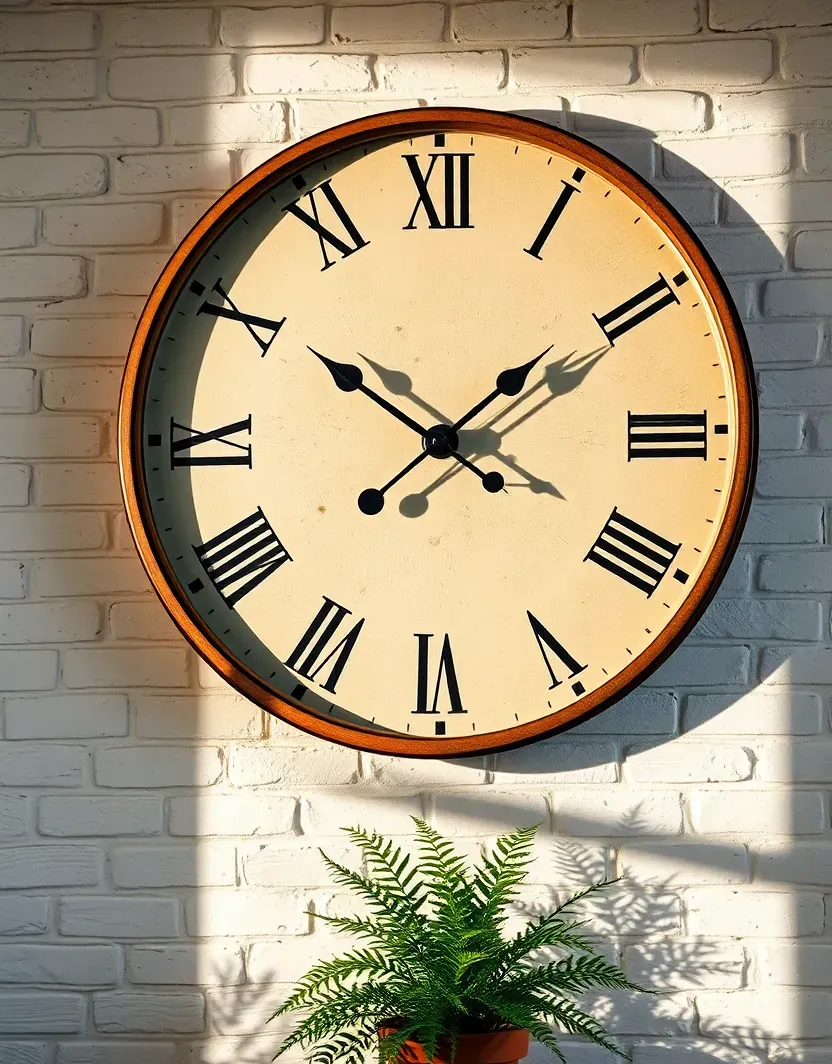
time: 1:50
